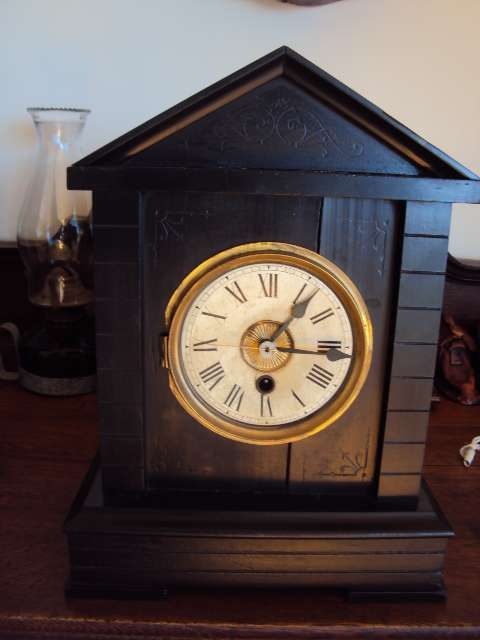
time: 1:16
